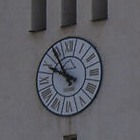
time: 9:54
